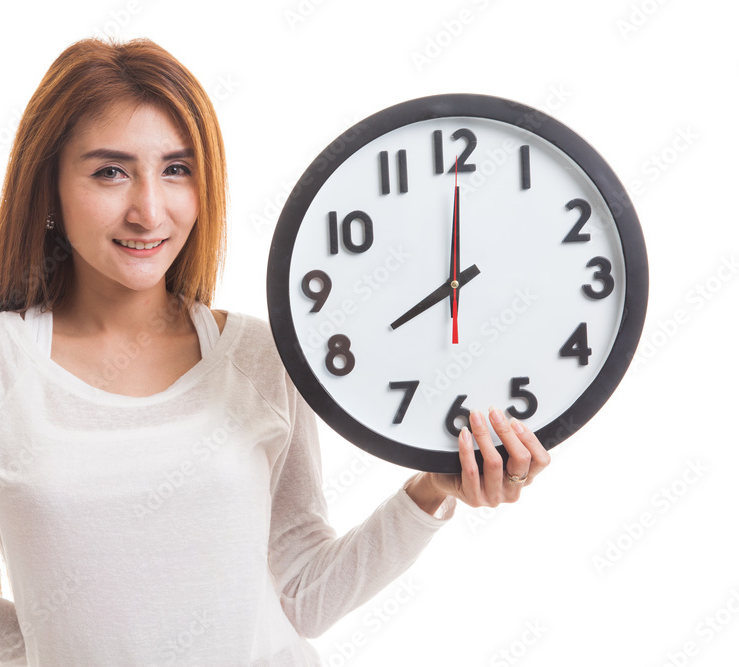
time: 8:00
